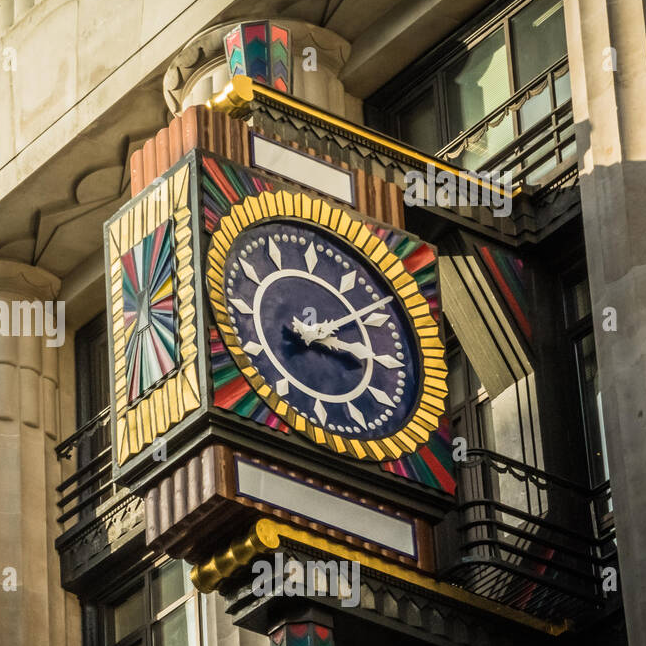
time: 3:09
